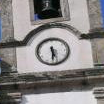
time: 5:30
